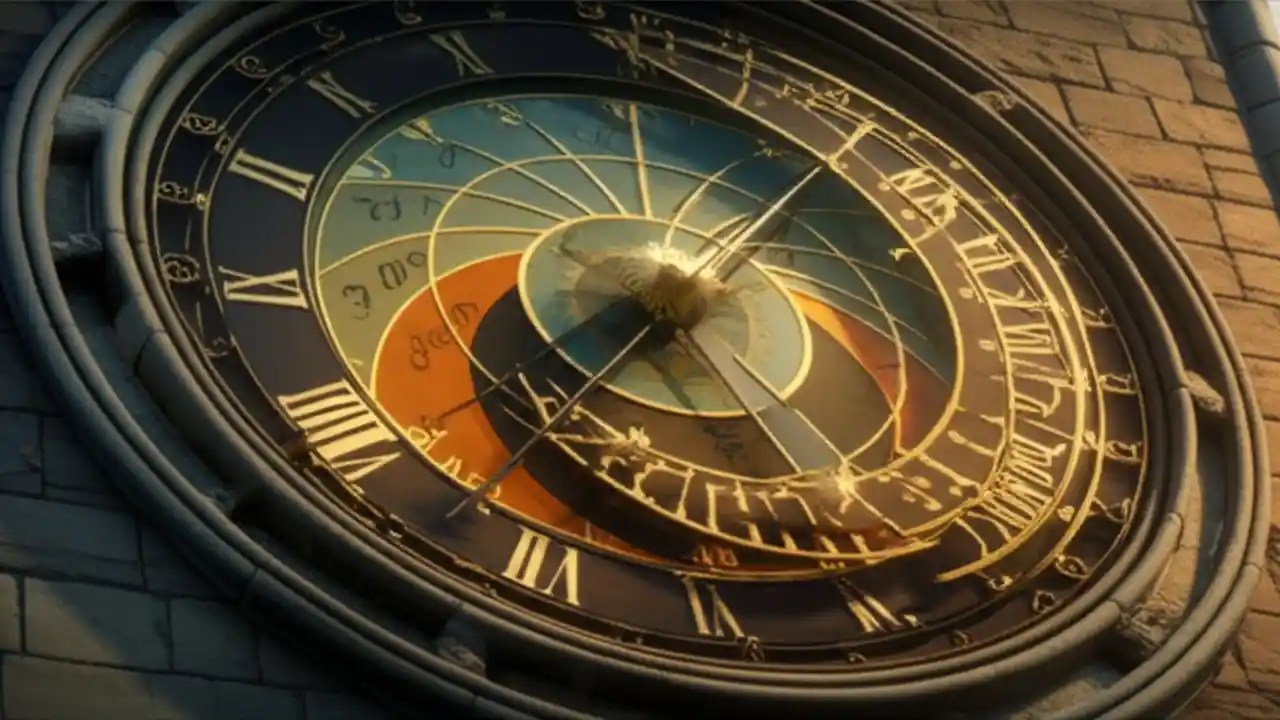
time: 8:07
